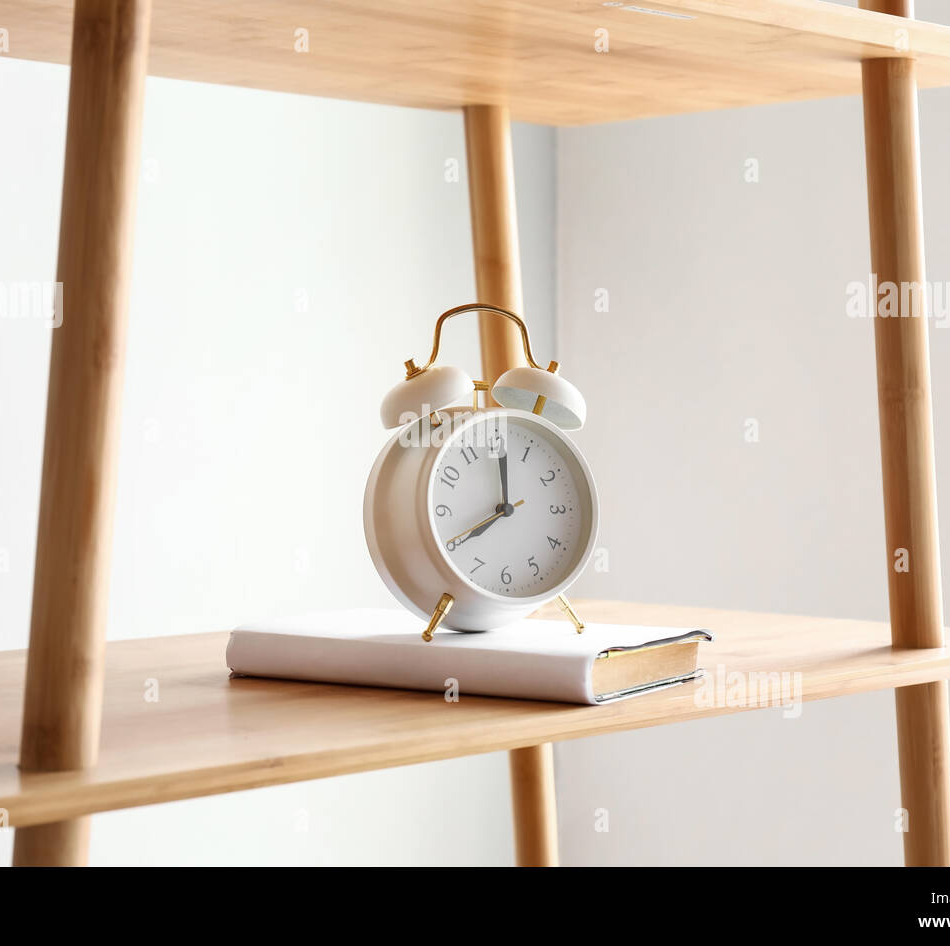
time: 8:01
